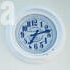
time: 7:12
